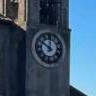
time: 10:00
